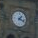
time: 1:18
